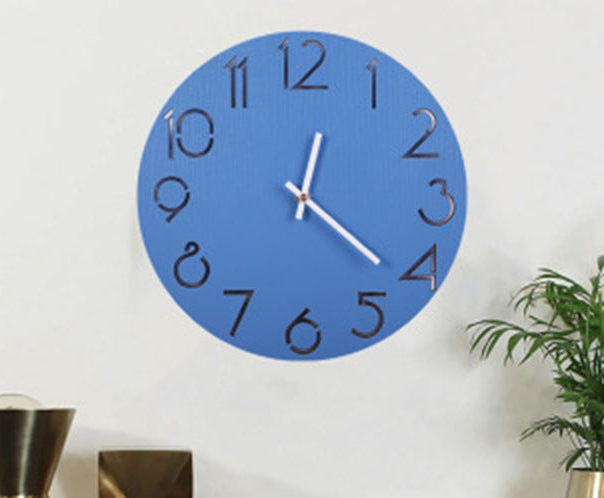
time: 12:21
